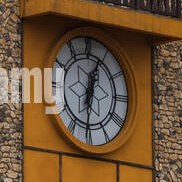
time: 12:30
